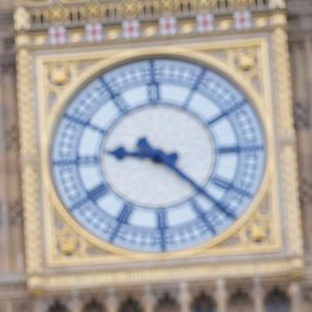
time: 9:22
